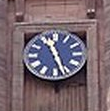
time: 11:26
